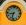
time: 8:33
